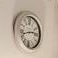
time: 2:42
